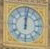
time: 12:01
